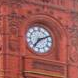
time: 7:10
